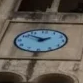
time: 1:50
